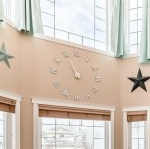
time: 10:56
